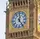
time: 12:24
